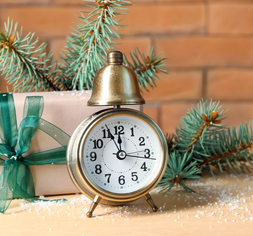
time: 11:55
